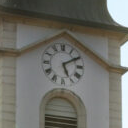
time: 5:09
